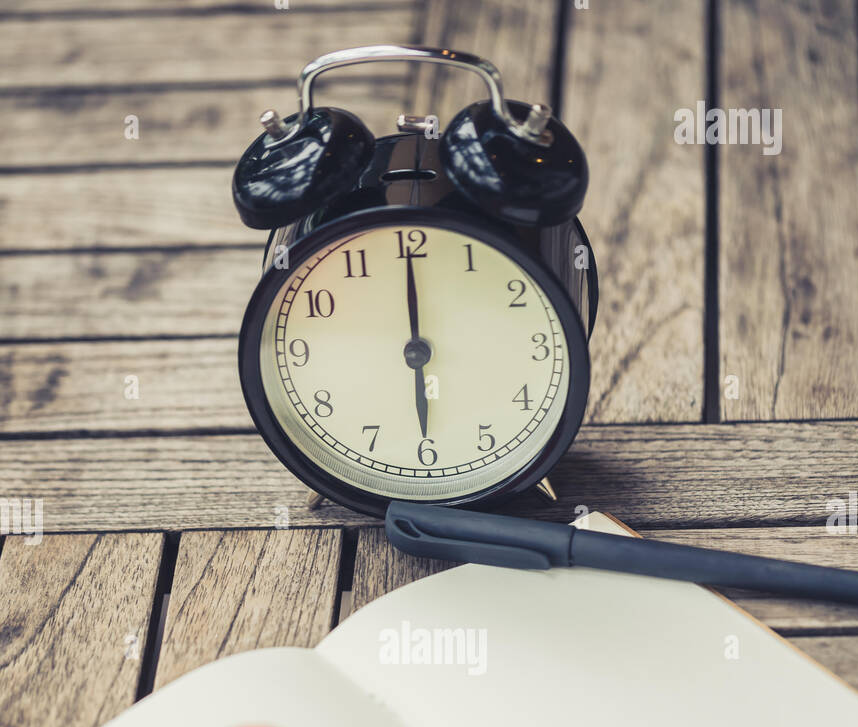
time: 6:00
